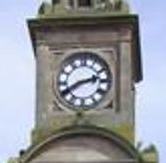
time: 2:40
